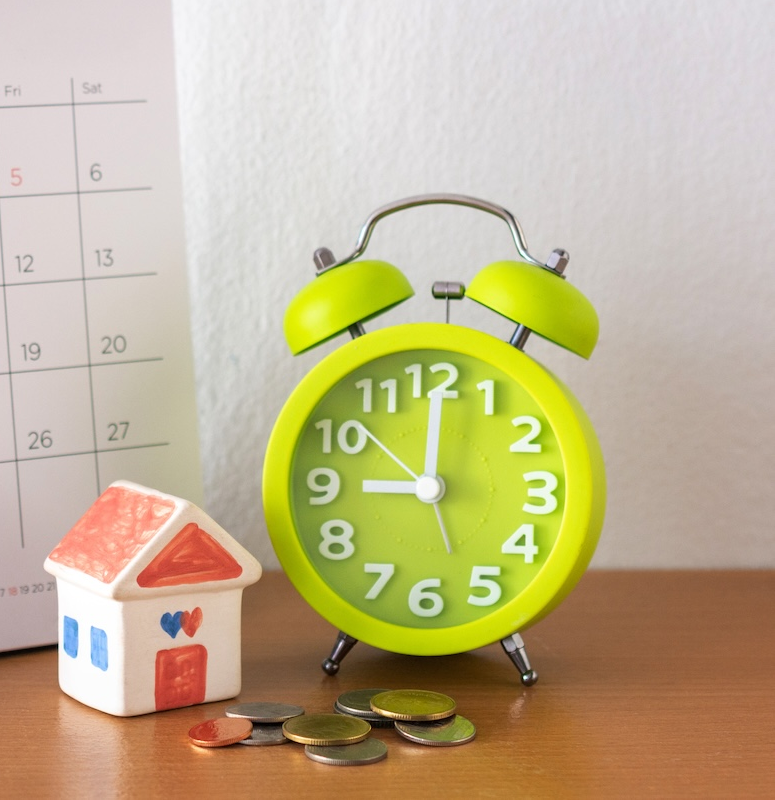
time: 9:00
